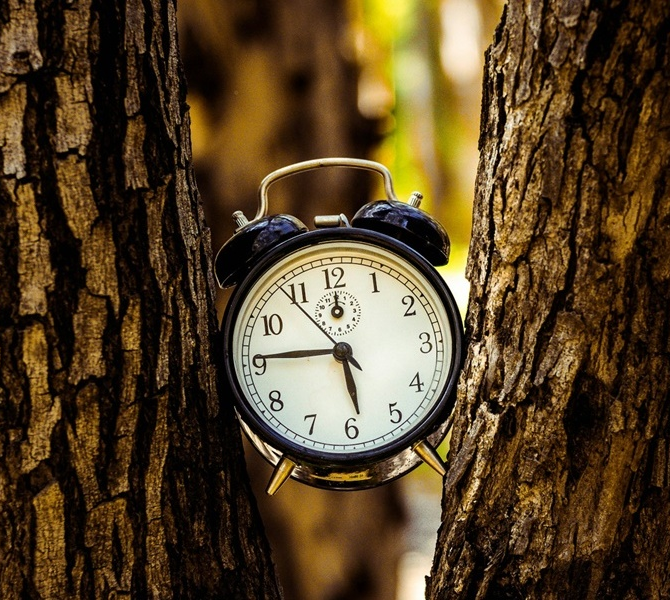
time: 5:45
